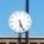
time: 5:26
